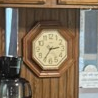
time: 2:35
